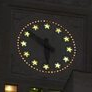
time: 5:51
